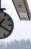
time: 1:19
